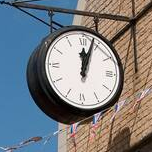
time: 12:03
